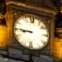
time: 8:45
